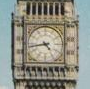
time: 4:43
